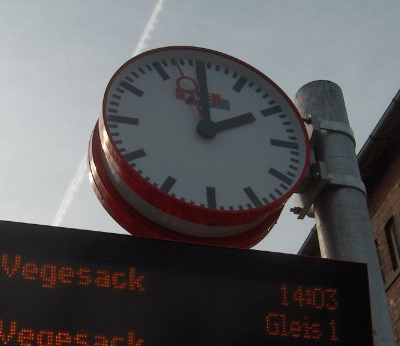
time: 1:59
